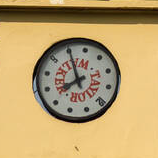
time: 7:55
